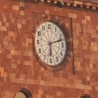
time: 6:12
